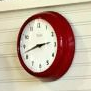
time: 2:42
